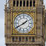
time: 1:40
